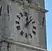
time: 12:07
